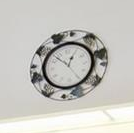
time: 12:52
